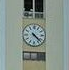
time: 4:22
